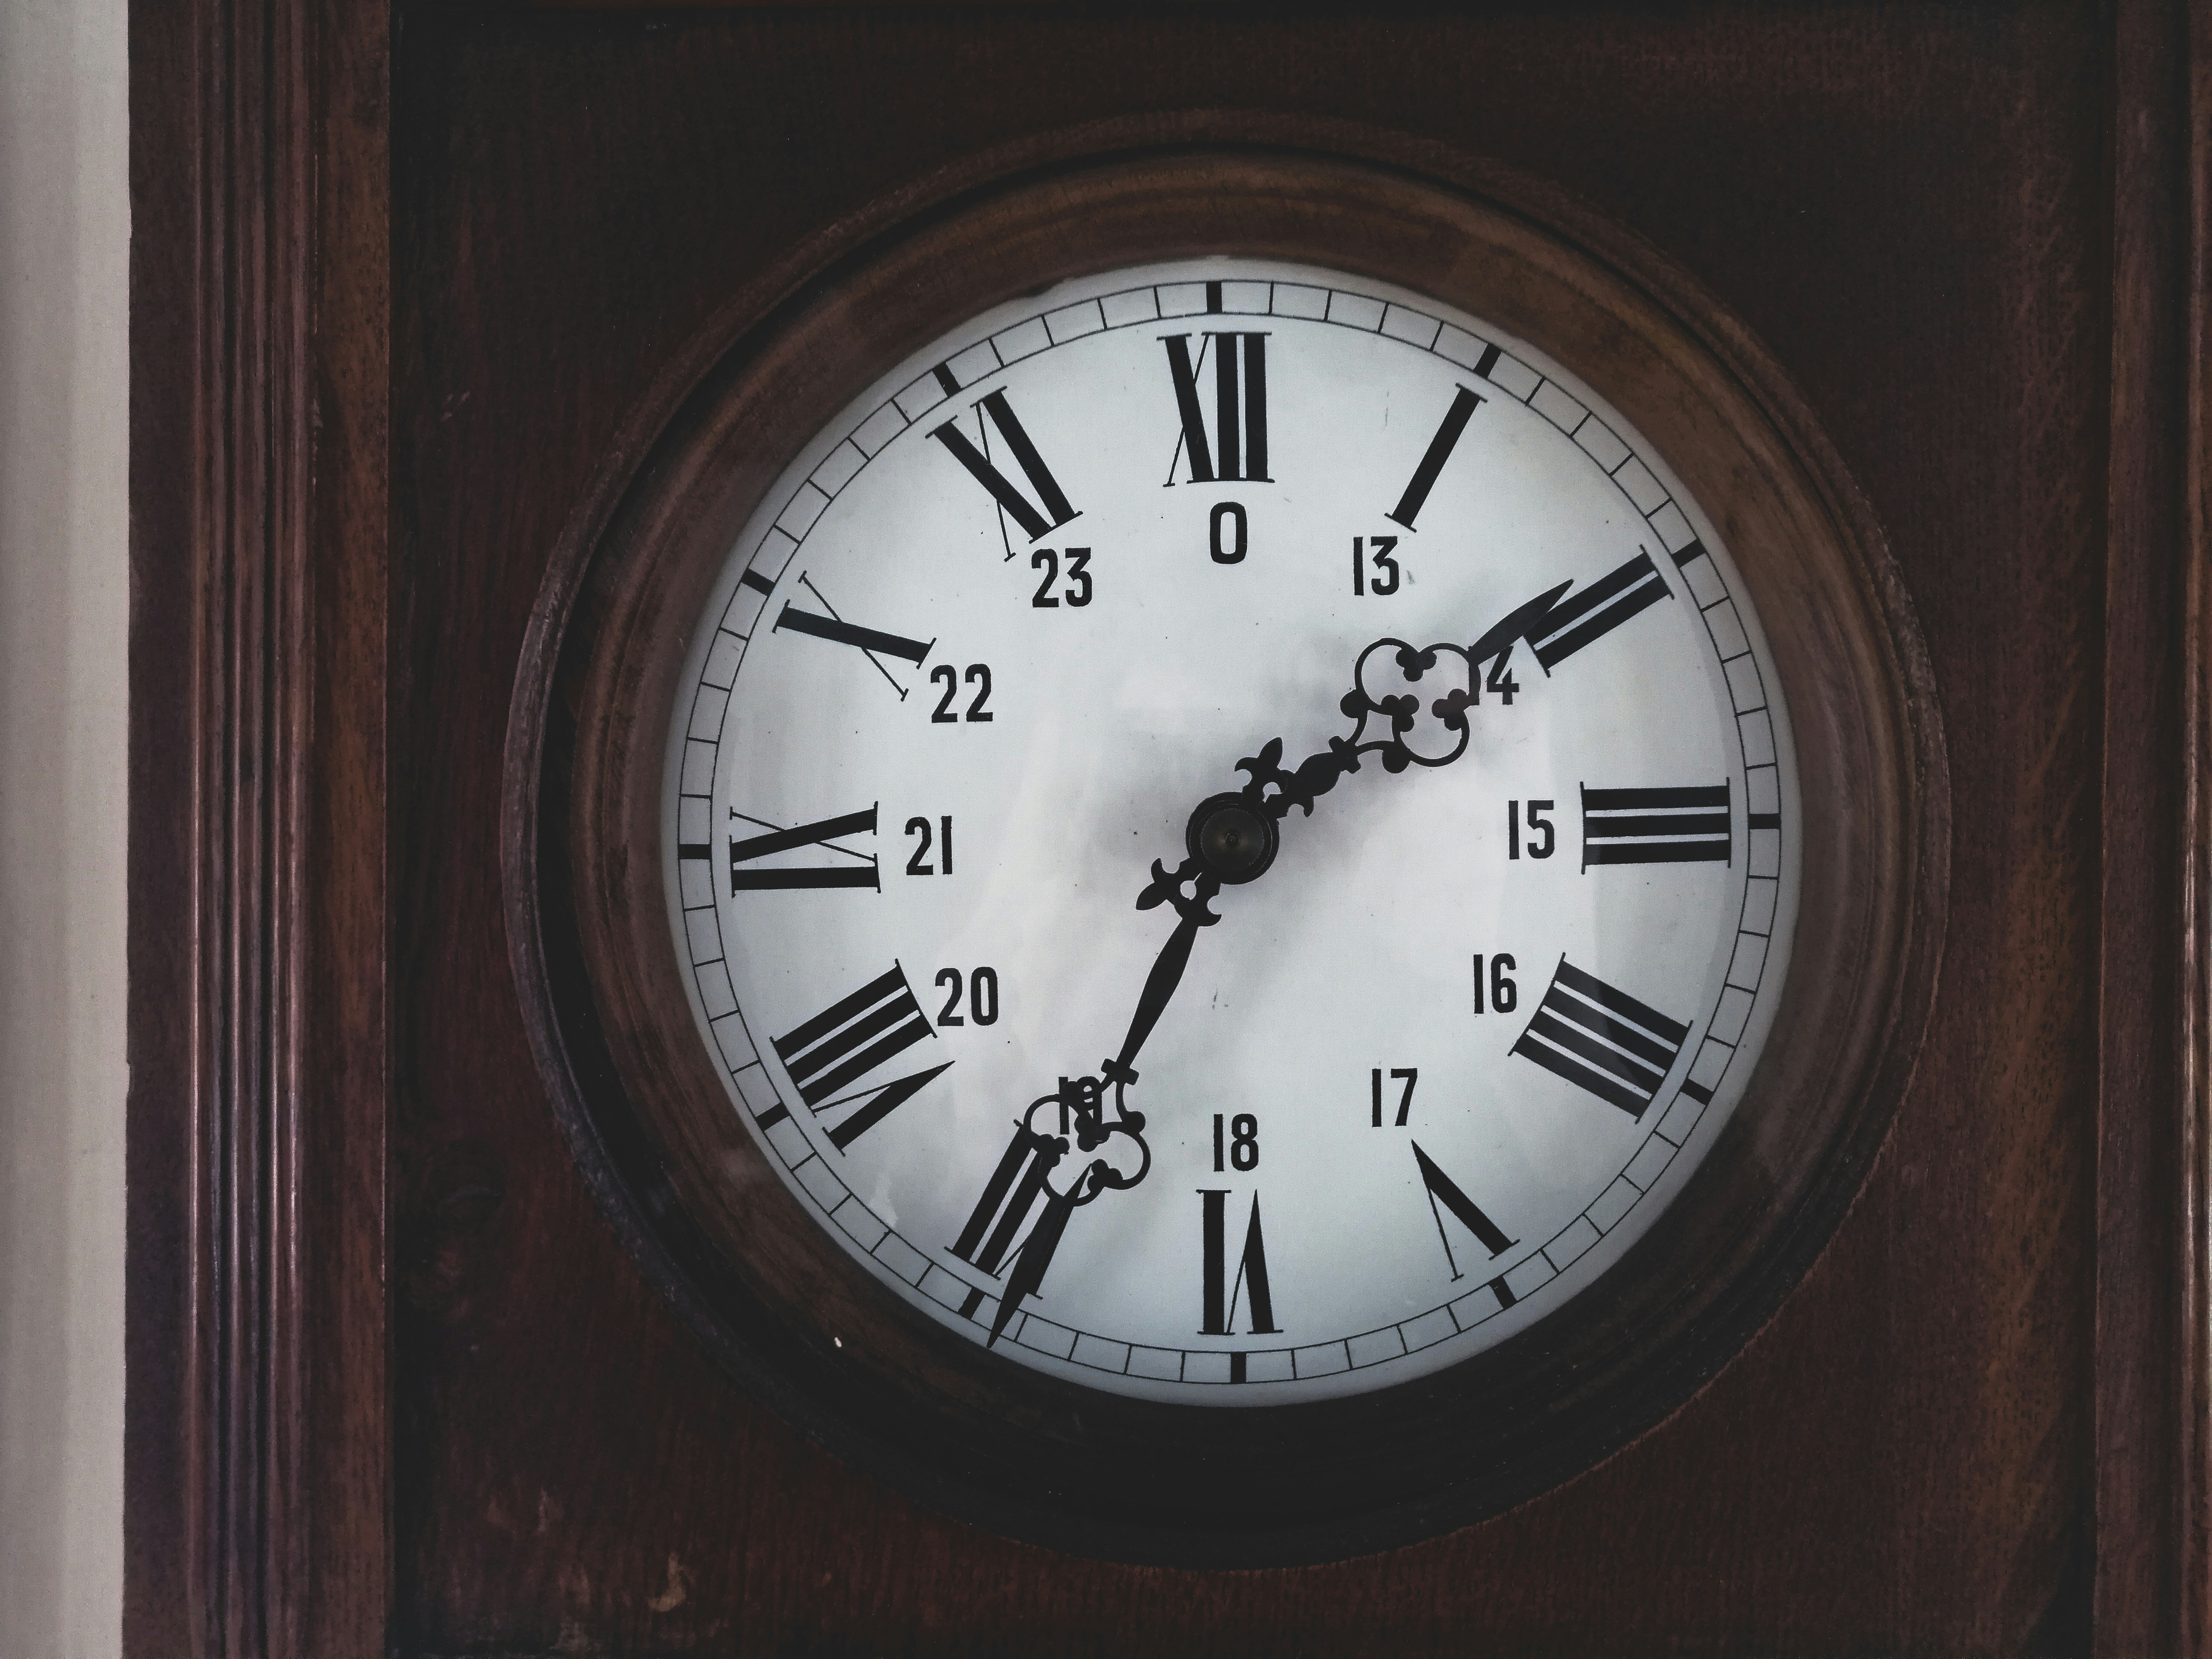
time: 1:34
